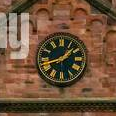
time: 1:42
